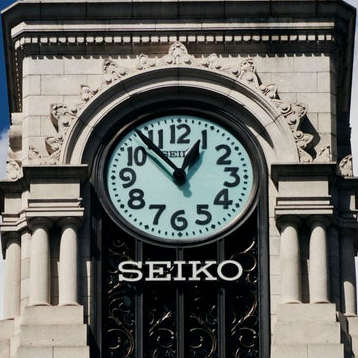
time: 12:53
